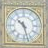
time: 10:27
